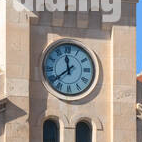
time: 11:38
